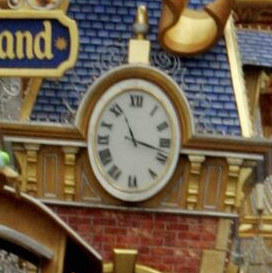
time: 11:17
